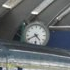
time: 4:40
